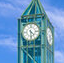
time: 4:29
